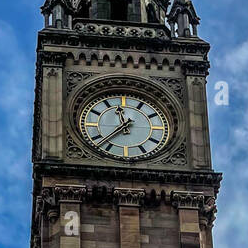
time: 11:37
